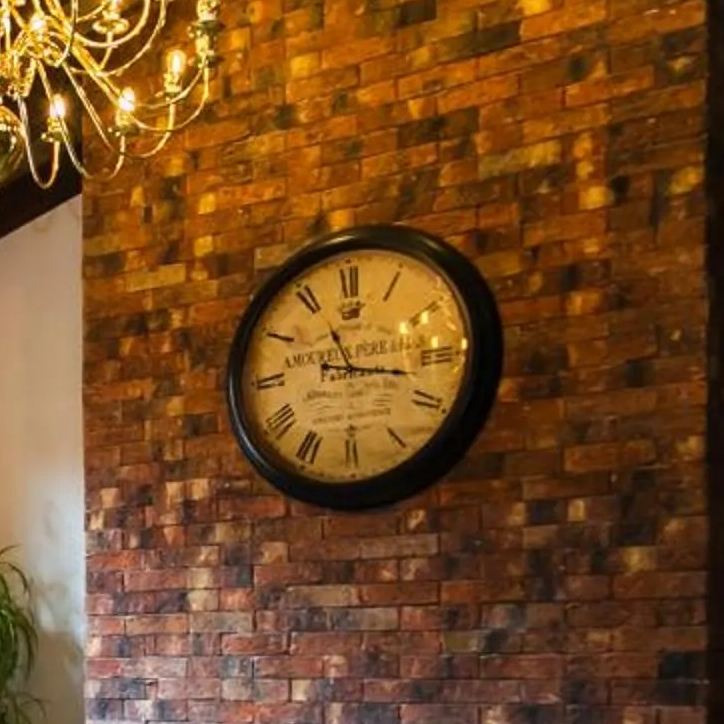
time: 11:16
